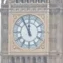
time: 11:55
